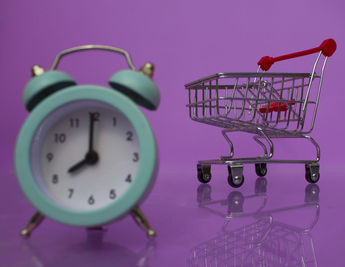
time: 8:00
